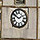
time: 1:50
